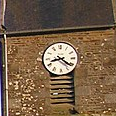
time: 8:21
